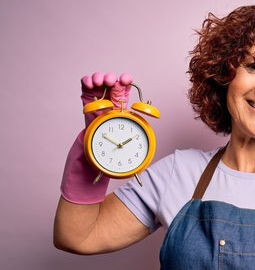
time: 1:49
